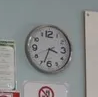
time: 3:33
